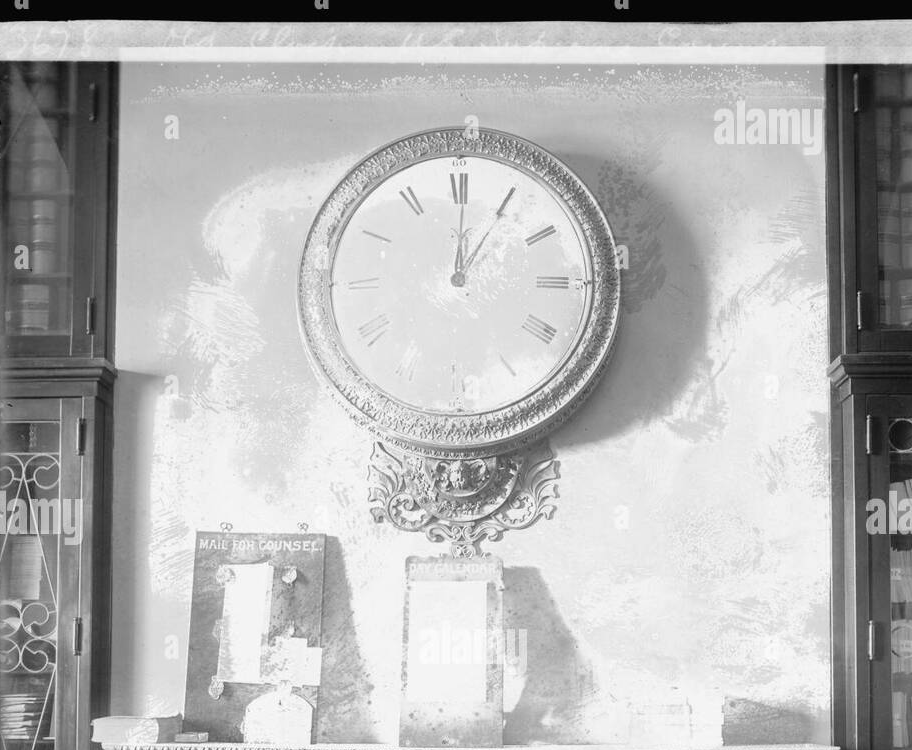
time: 1:01
